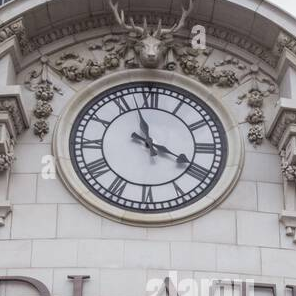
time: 11:19
